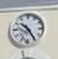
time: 10:24
